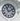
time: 11:11
